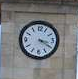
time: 3:20
